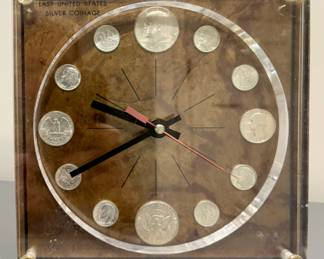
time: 9:40
